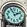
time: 1:56
